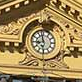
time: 8:58
